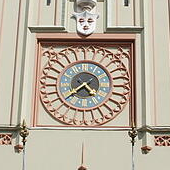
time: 4:38
